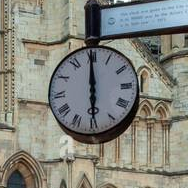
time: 5:59
